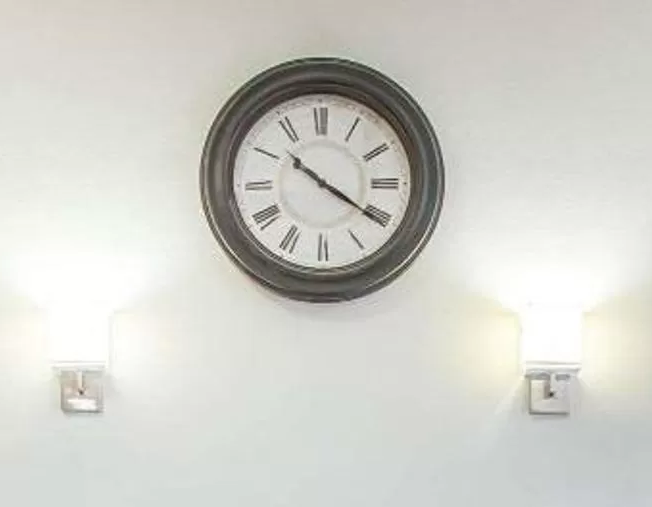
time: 10:20
